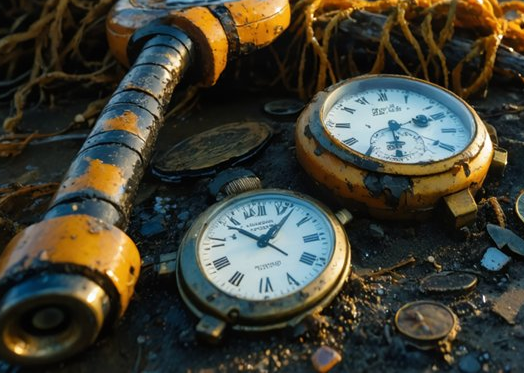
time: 10:07
